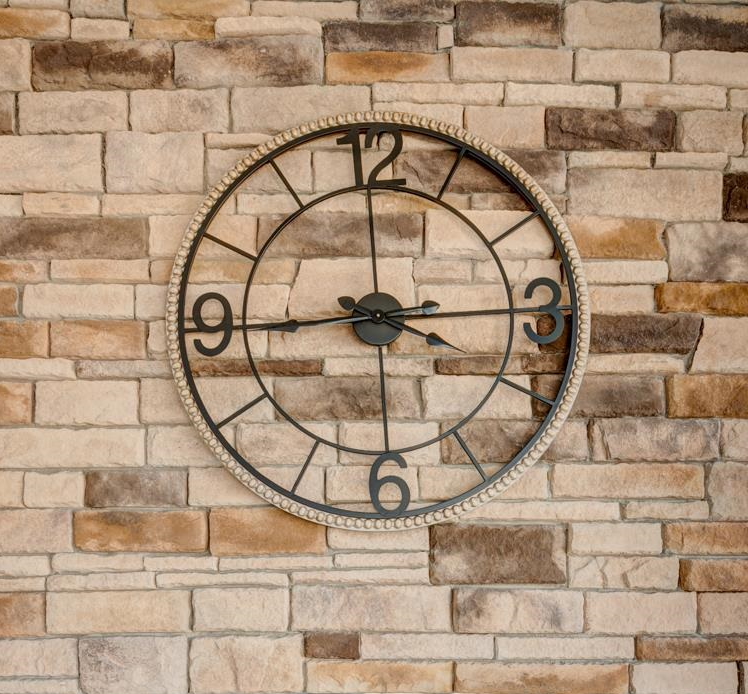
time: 3:44
